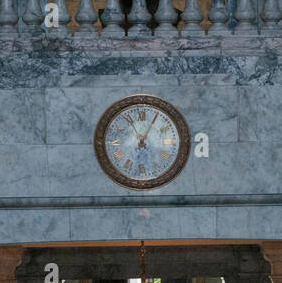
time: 11:05
